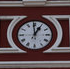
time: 12:59
